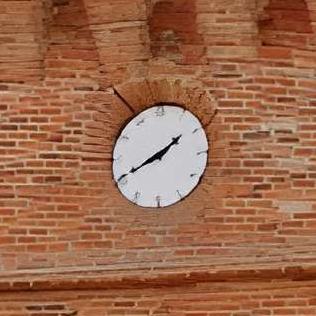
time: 1:40
